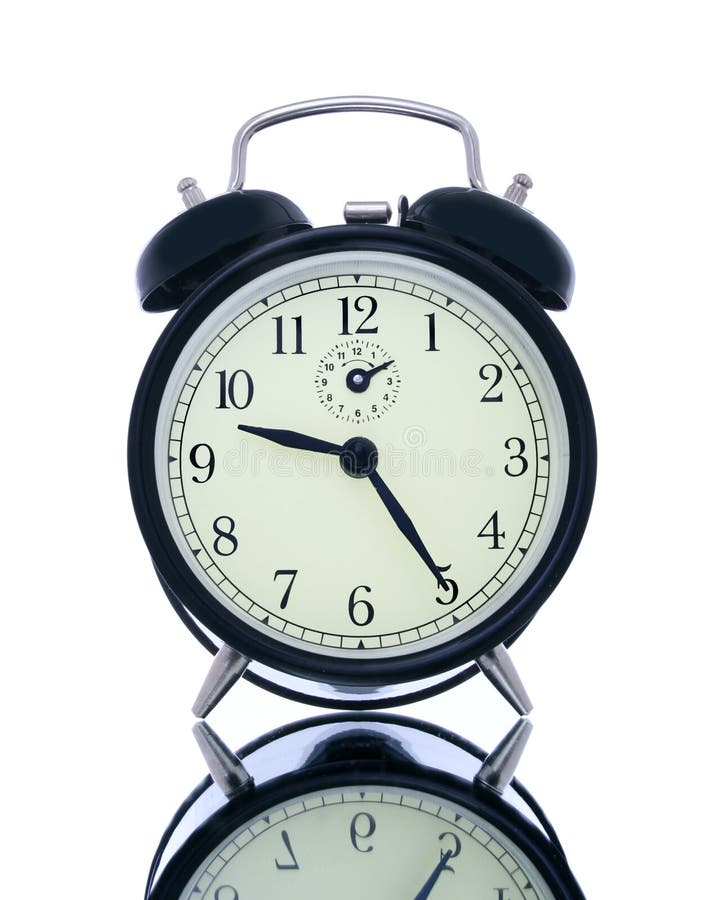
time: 9:24
